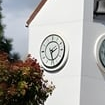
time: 2:27
